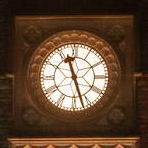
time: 11:26
